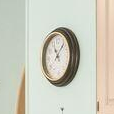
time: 11:07
